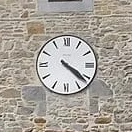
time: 4:20
